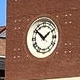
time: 1:51
